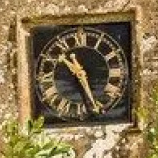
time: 10:26
